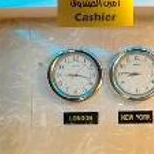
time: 9:17
